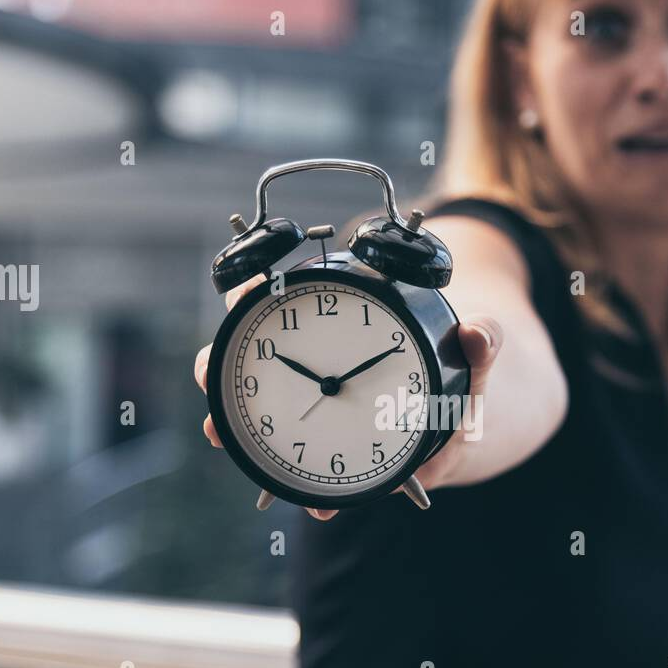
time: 10:10
